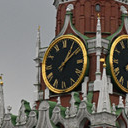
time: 1:09
